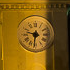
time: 9:31
